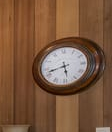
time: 5:42
